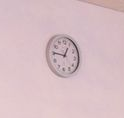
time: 12:45
